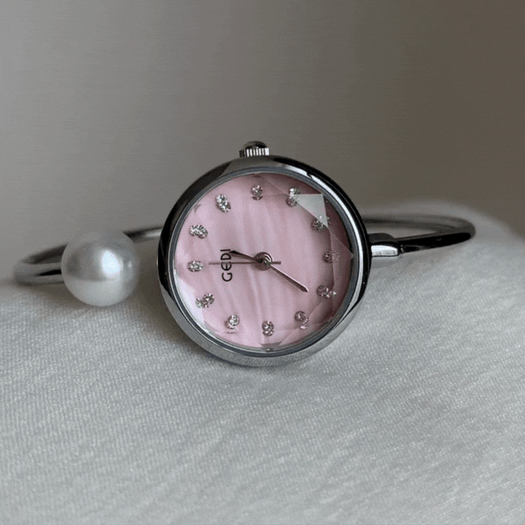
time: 9:21
